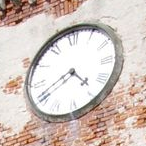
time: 4:40
